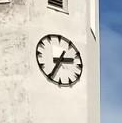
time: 2:34
